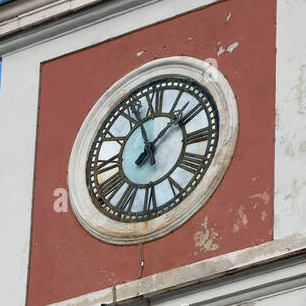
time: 1:56
